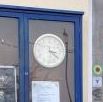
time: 3:21
